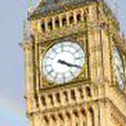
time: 4:19
